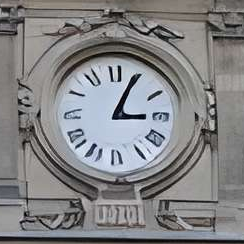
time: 3:04
